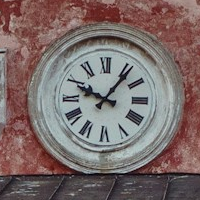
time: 10:06
